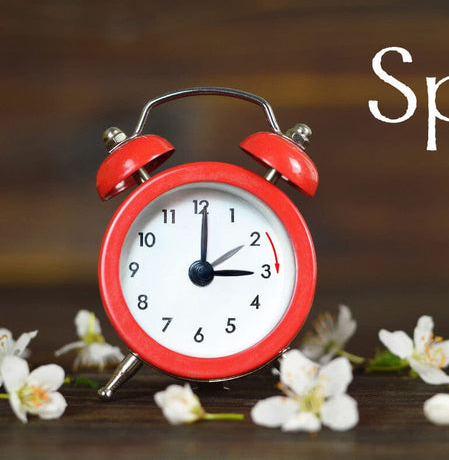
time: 3:01
